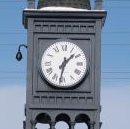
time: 1:31
